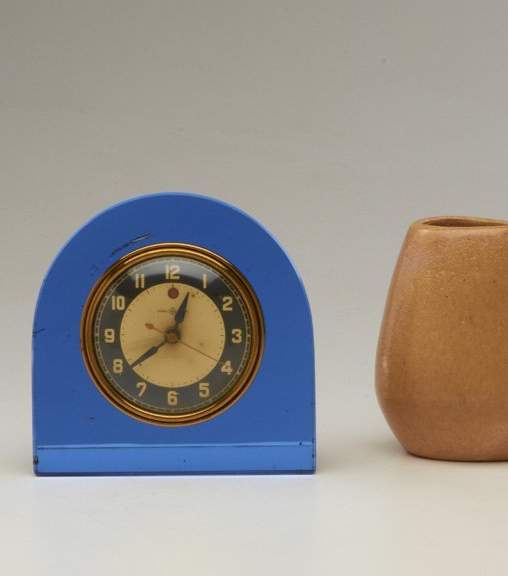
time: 12:38
